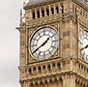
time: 1:40
